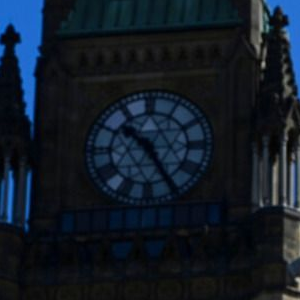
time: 10:25
